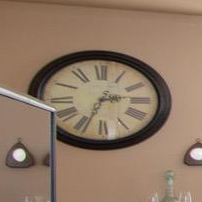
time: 2:33
